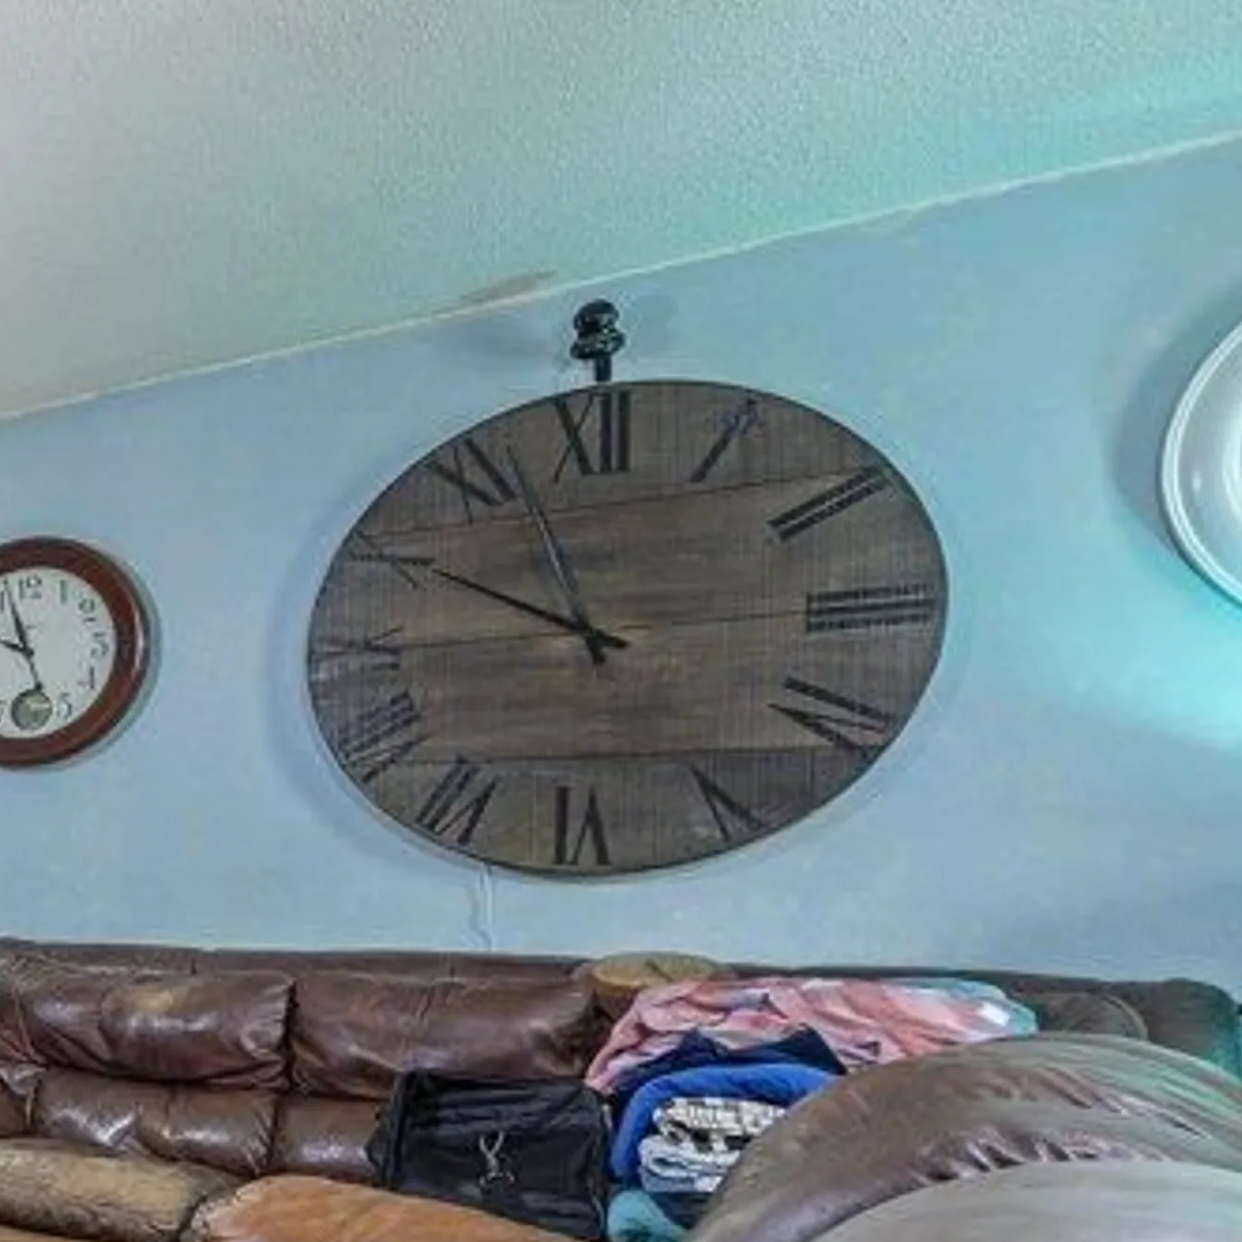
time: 9:56
